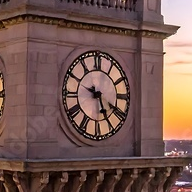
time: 9:25
